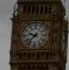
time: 9:37
